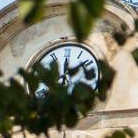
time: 12:09
